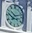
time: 10:12
